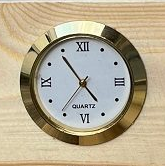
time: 4:54
